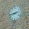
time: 2:43
